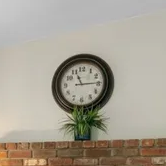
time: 11:14
